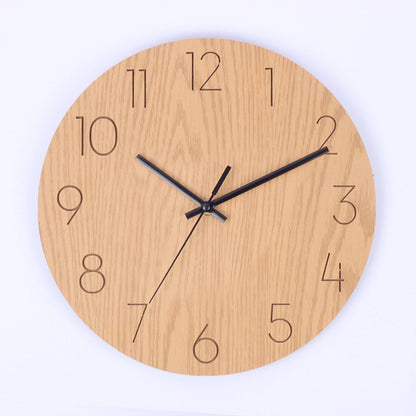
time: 10:11
